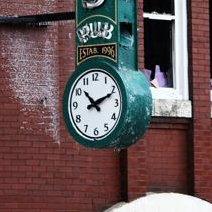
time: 10:11
